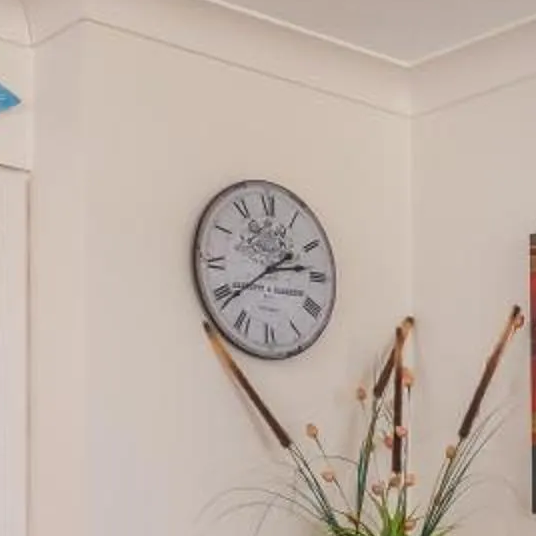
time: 2:39
